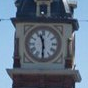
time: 11:30
